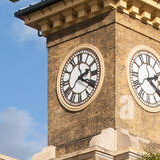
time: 2:20
